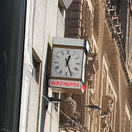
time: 12:26
